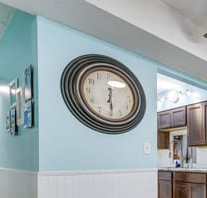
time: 6:29
